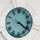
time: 4:21
